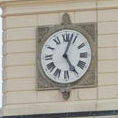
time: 5:03
